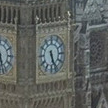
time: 5:26
